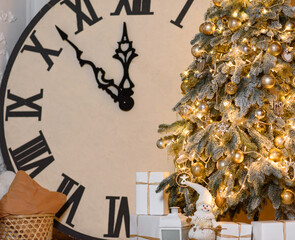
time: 11:52
